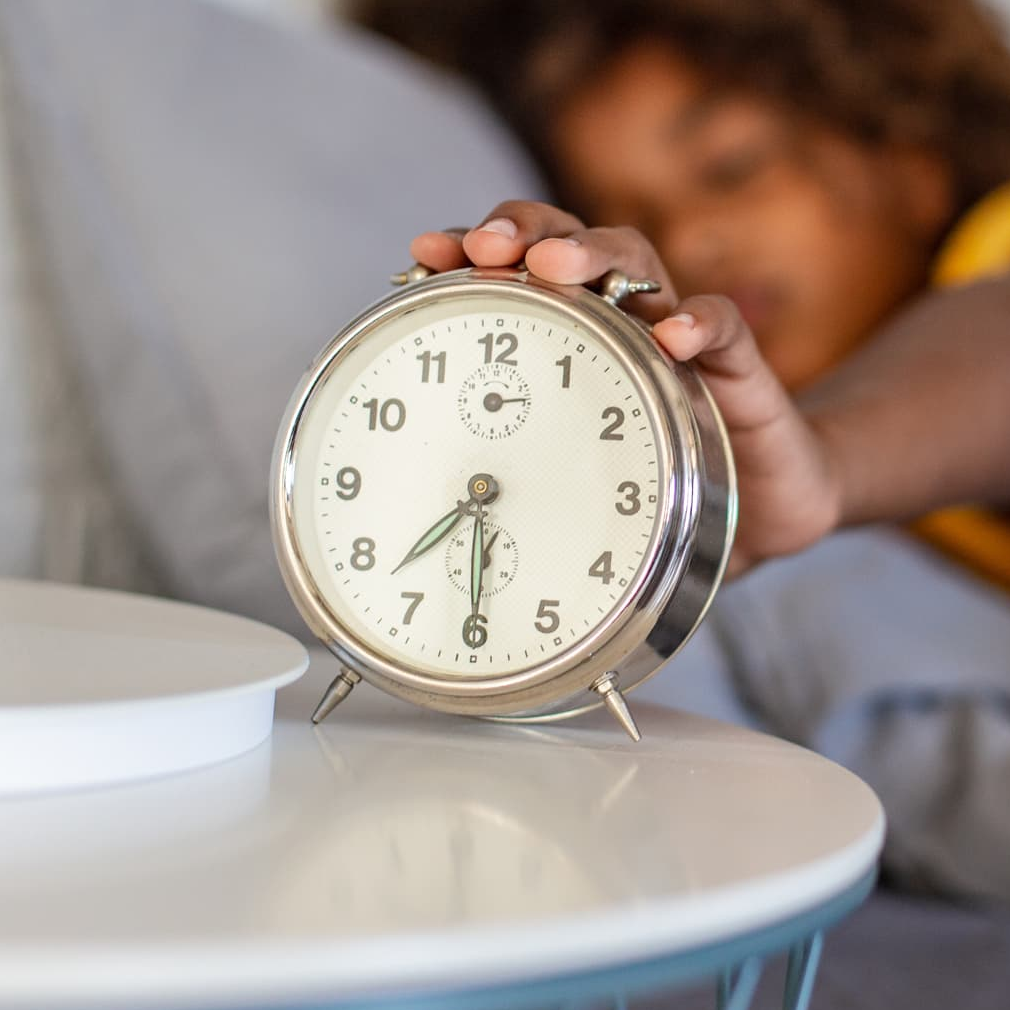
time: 7:30
